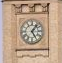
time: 5:06
